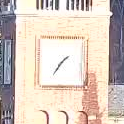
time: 1:36
